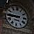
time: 8:45
